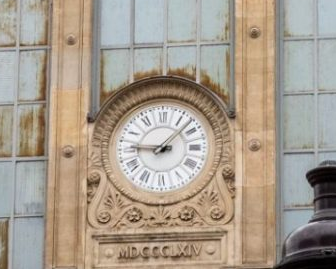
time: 9:07
